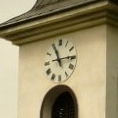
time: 11:14
